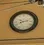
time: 8:12
